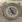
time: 4:57
